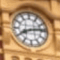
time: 8:13
